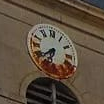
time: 6:38
